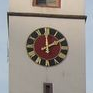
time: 1:59
